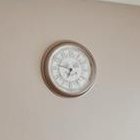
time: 6:47
